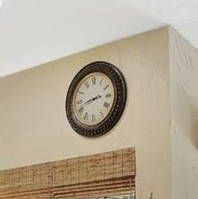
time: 2:42
